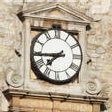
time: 7:44
